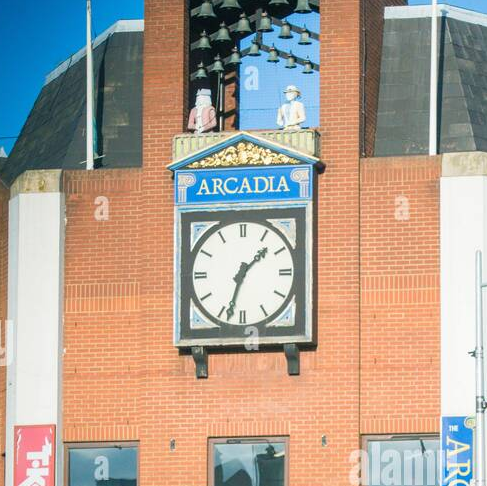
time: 1:33
